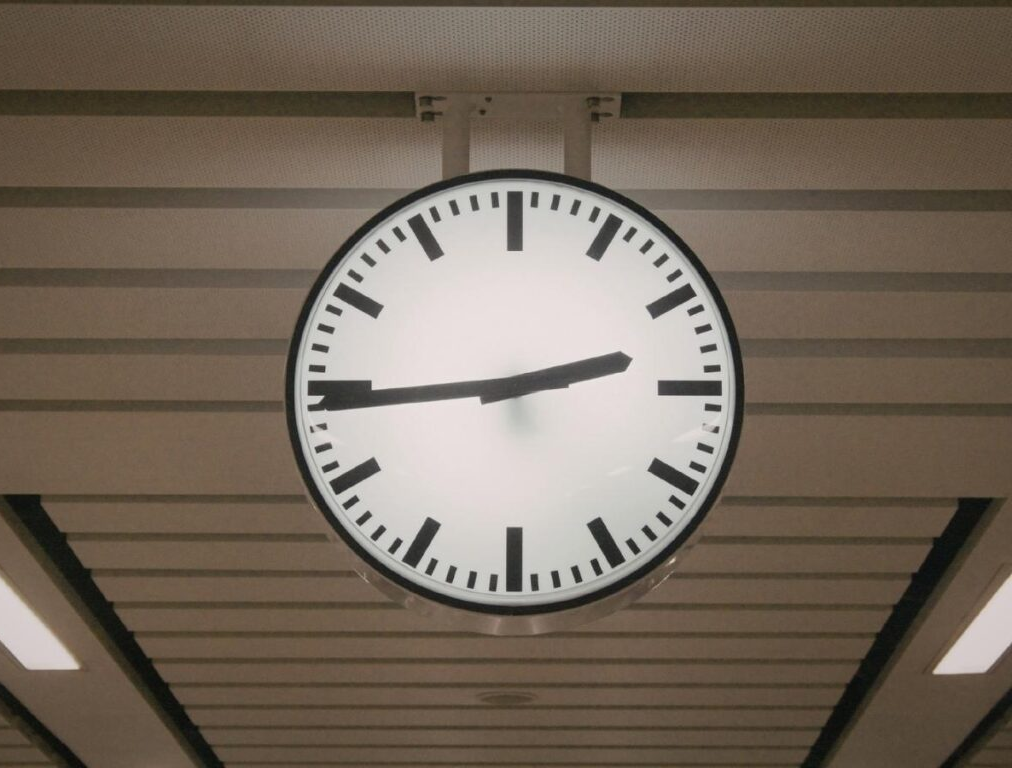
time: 2:44
